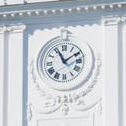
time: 11:09
